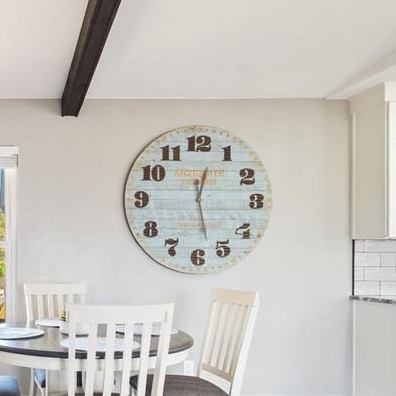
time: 12:27
